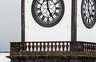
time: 4:59
